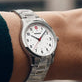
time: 10:07
